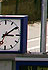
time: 3:09
